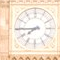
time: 7:44
